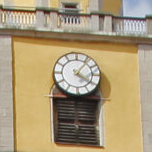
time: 4:06
